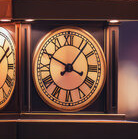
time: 3:49
